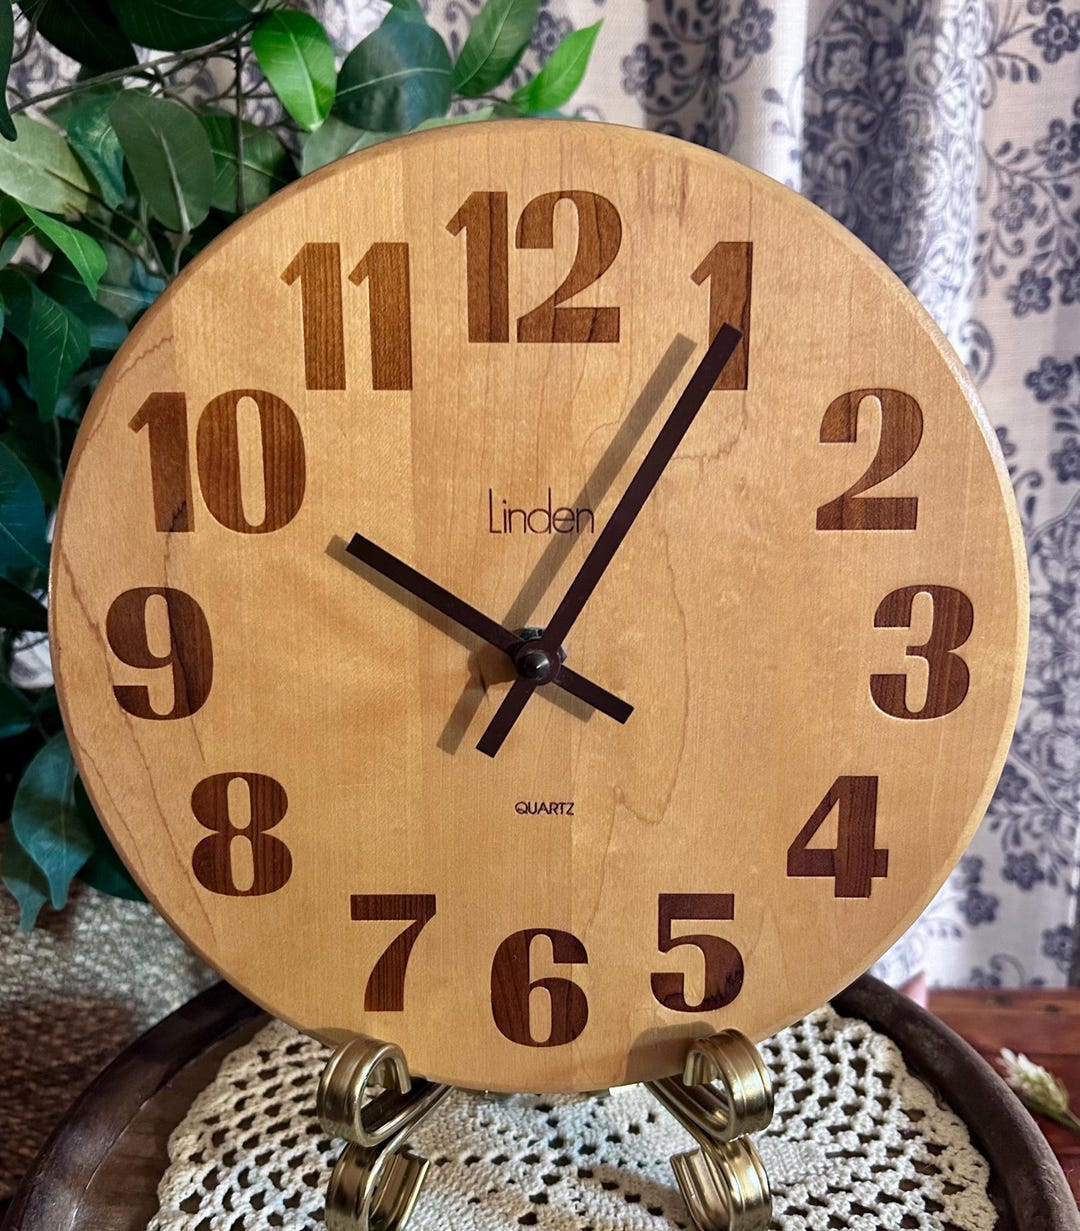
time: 10:05
